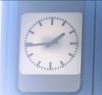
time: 1:44
